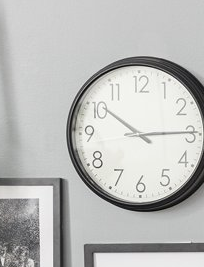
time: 10:14
